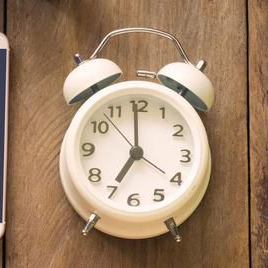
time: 6:59
